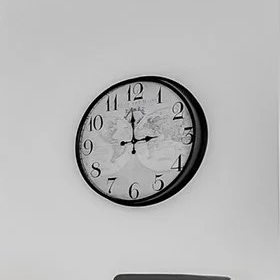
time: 2:59
